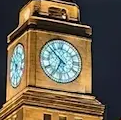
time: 6:52
